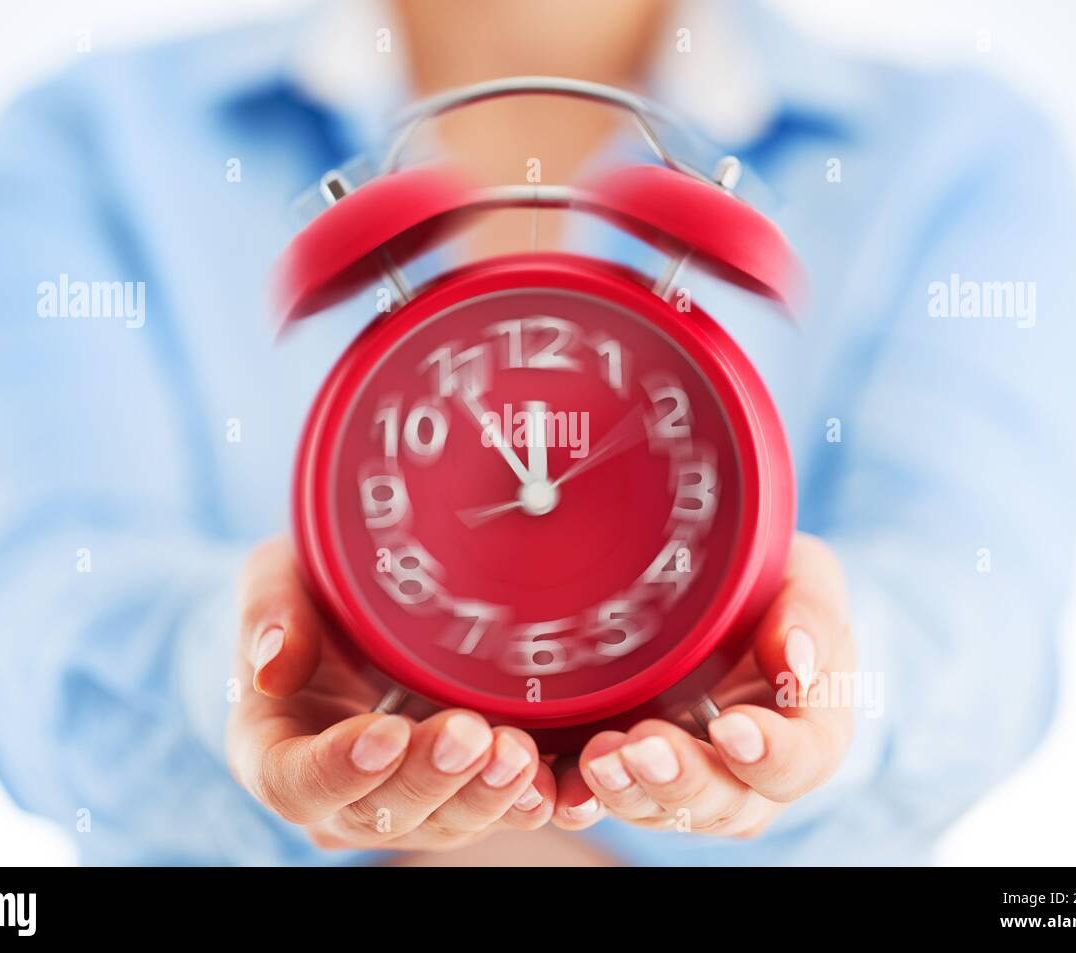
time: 11:54
